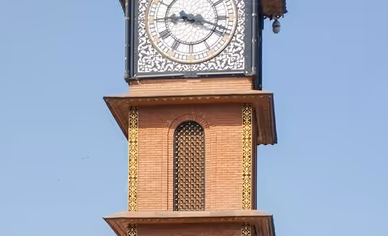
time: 9:18
